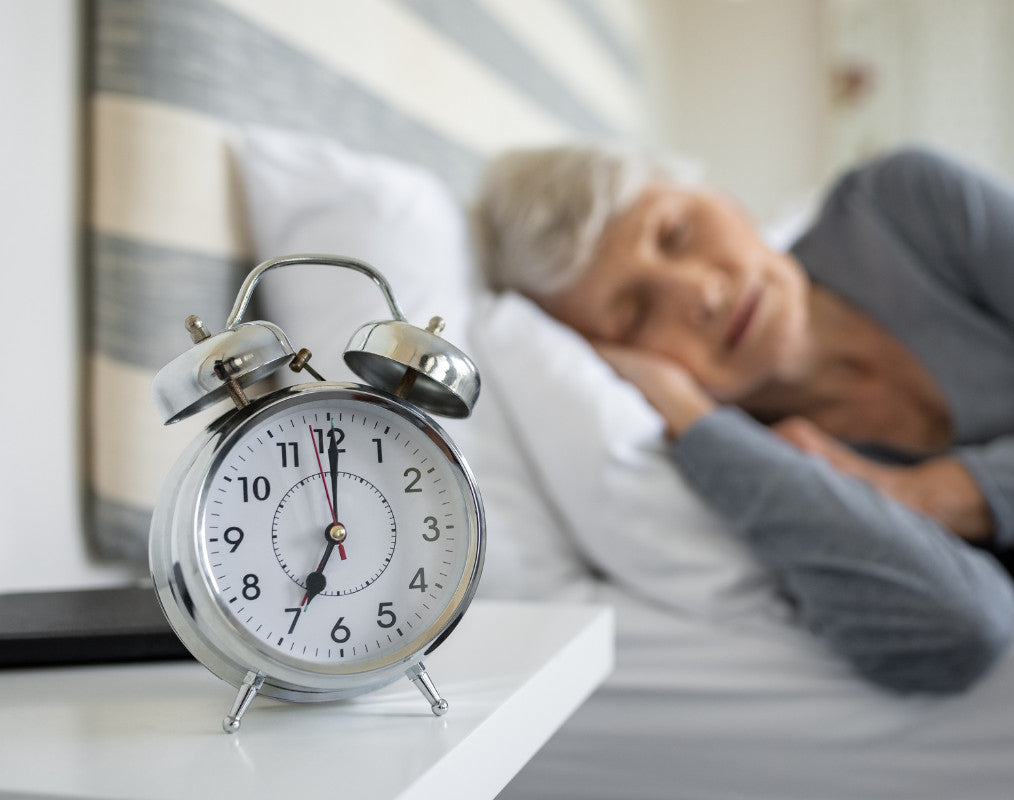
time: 7:00
